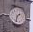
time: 1:32
